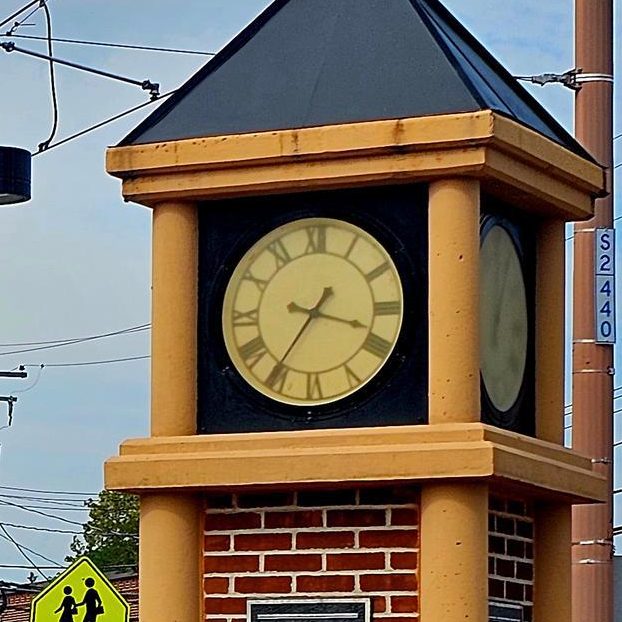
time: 3:35
